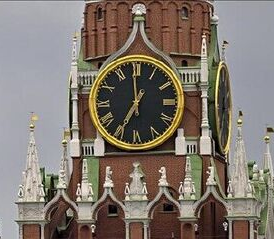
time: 6:59
